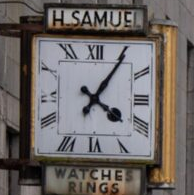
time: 4:05
